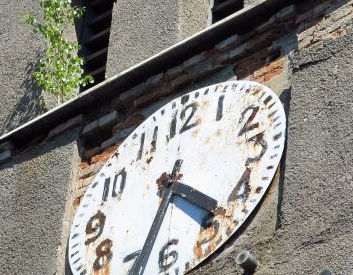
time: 4:33
